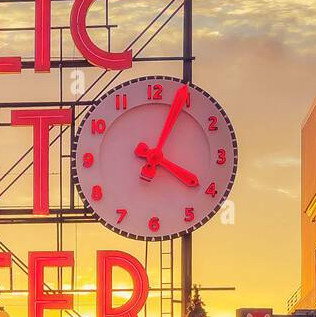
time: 4:03
